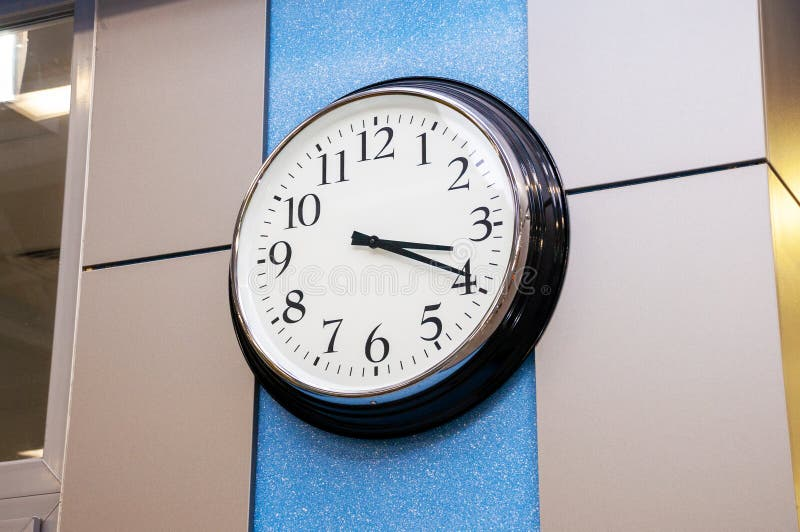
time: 3:19
